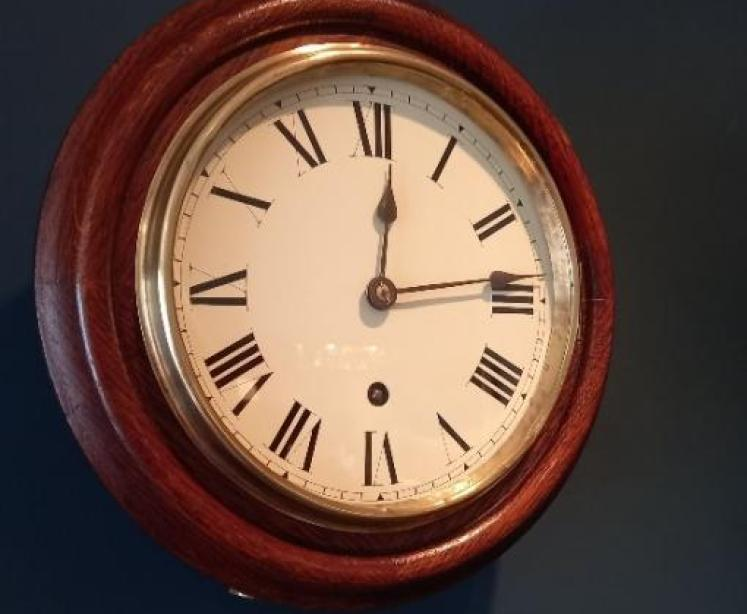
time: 12:13
